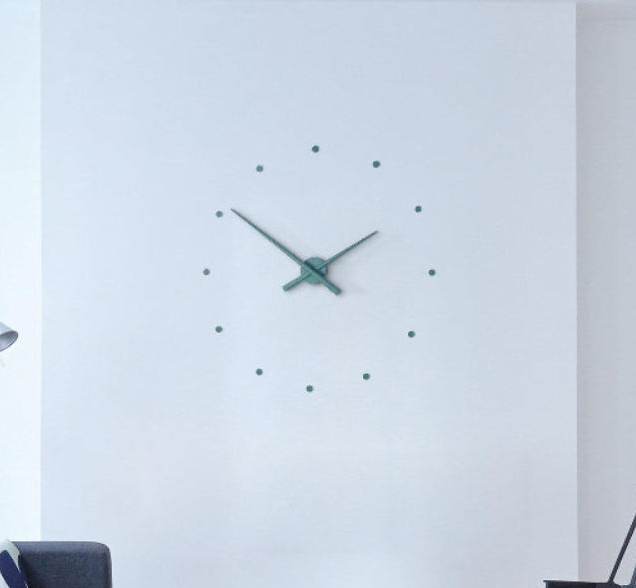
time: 1:50
